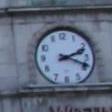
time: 2:18
